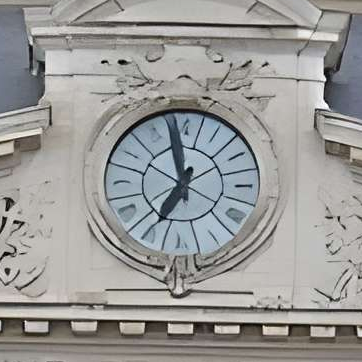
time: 6:57
